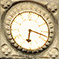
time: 6:17
